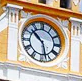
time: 10:27
